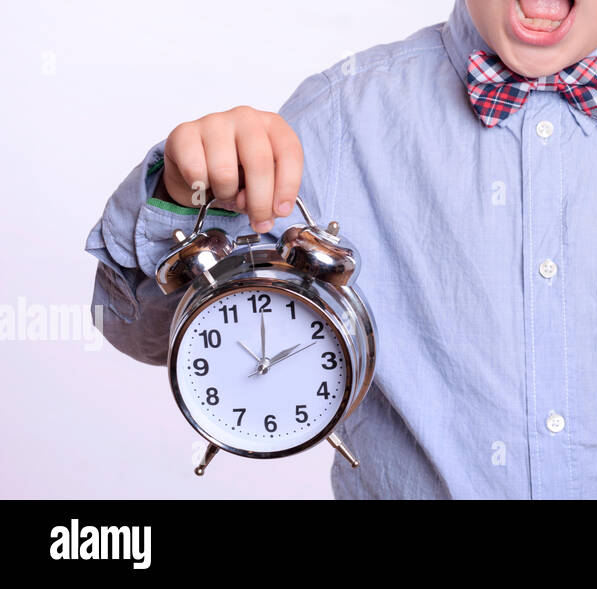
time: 2:00
